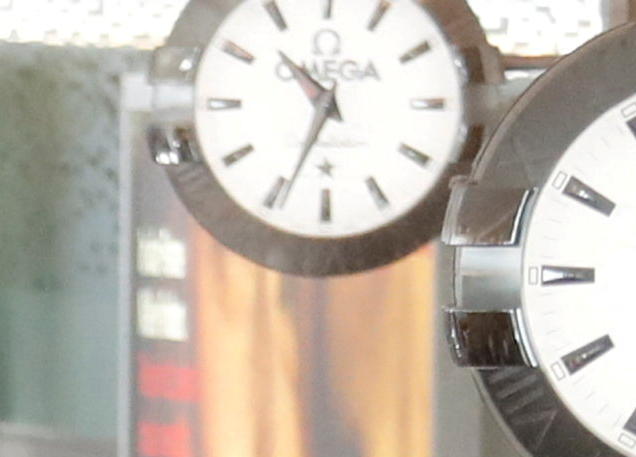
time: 10:34
